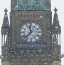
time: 11:37
